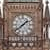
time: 1:38
